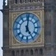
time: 5:01
